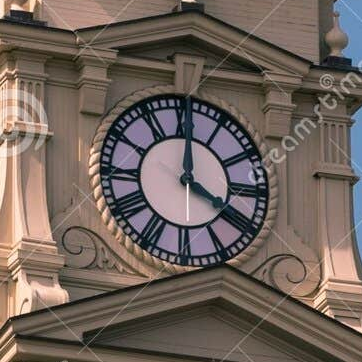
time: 4:00
